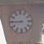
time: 8:45
